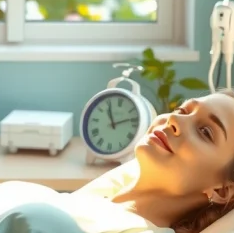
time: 11:13
